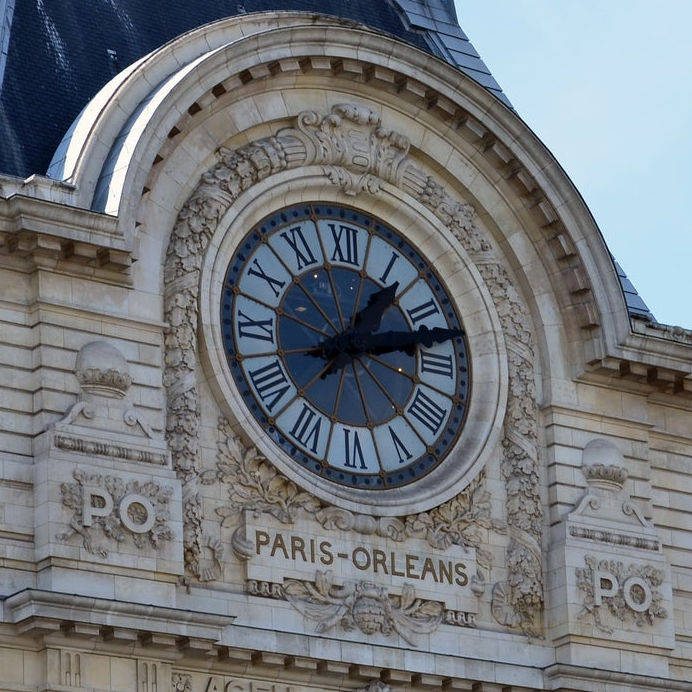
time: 1:12
